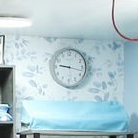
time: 9:17
